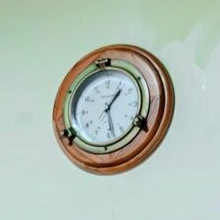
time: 1:28
